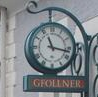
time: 11:17
